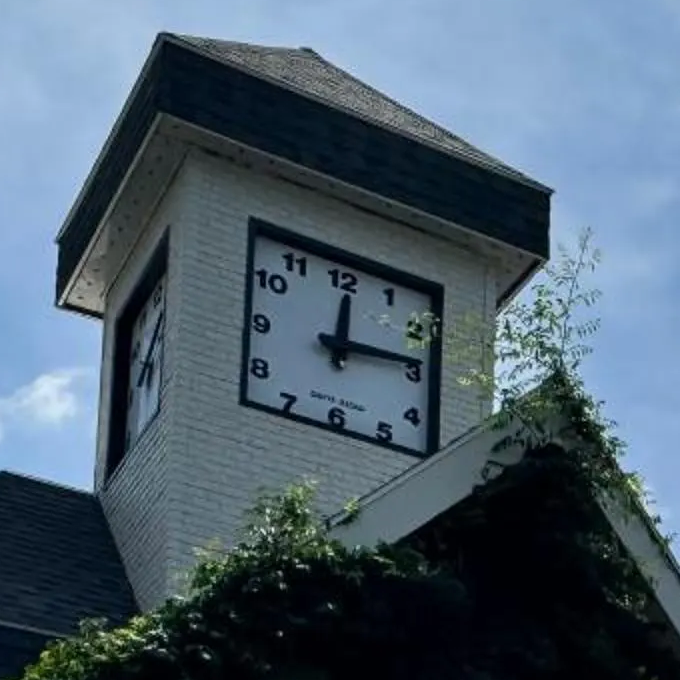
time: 12:14
